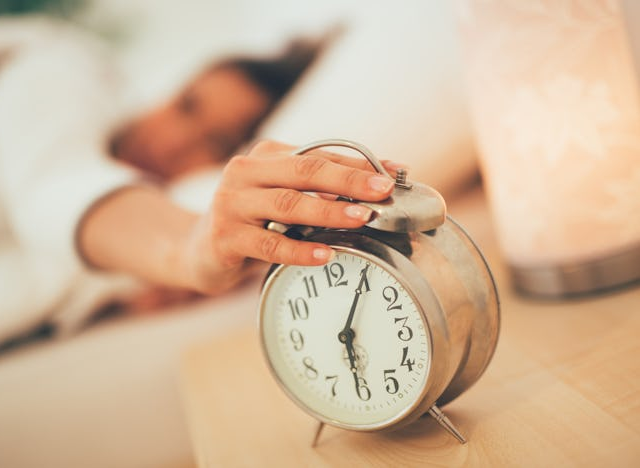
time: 6:05
